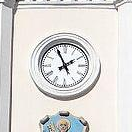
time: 1:56
